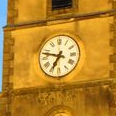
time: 6:47
